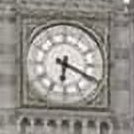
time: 6:19
